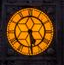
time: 5:29
